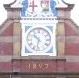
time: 10:32
